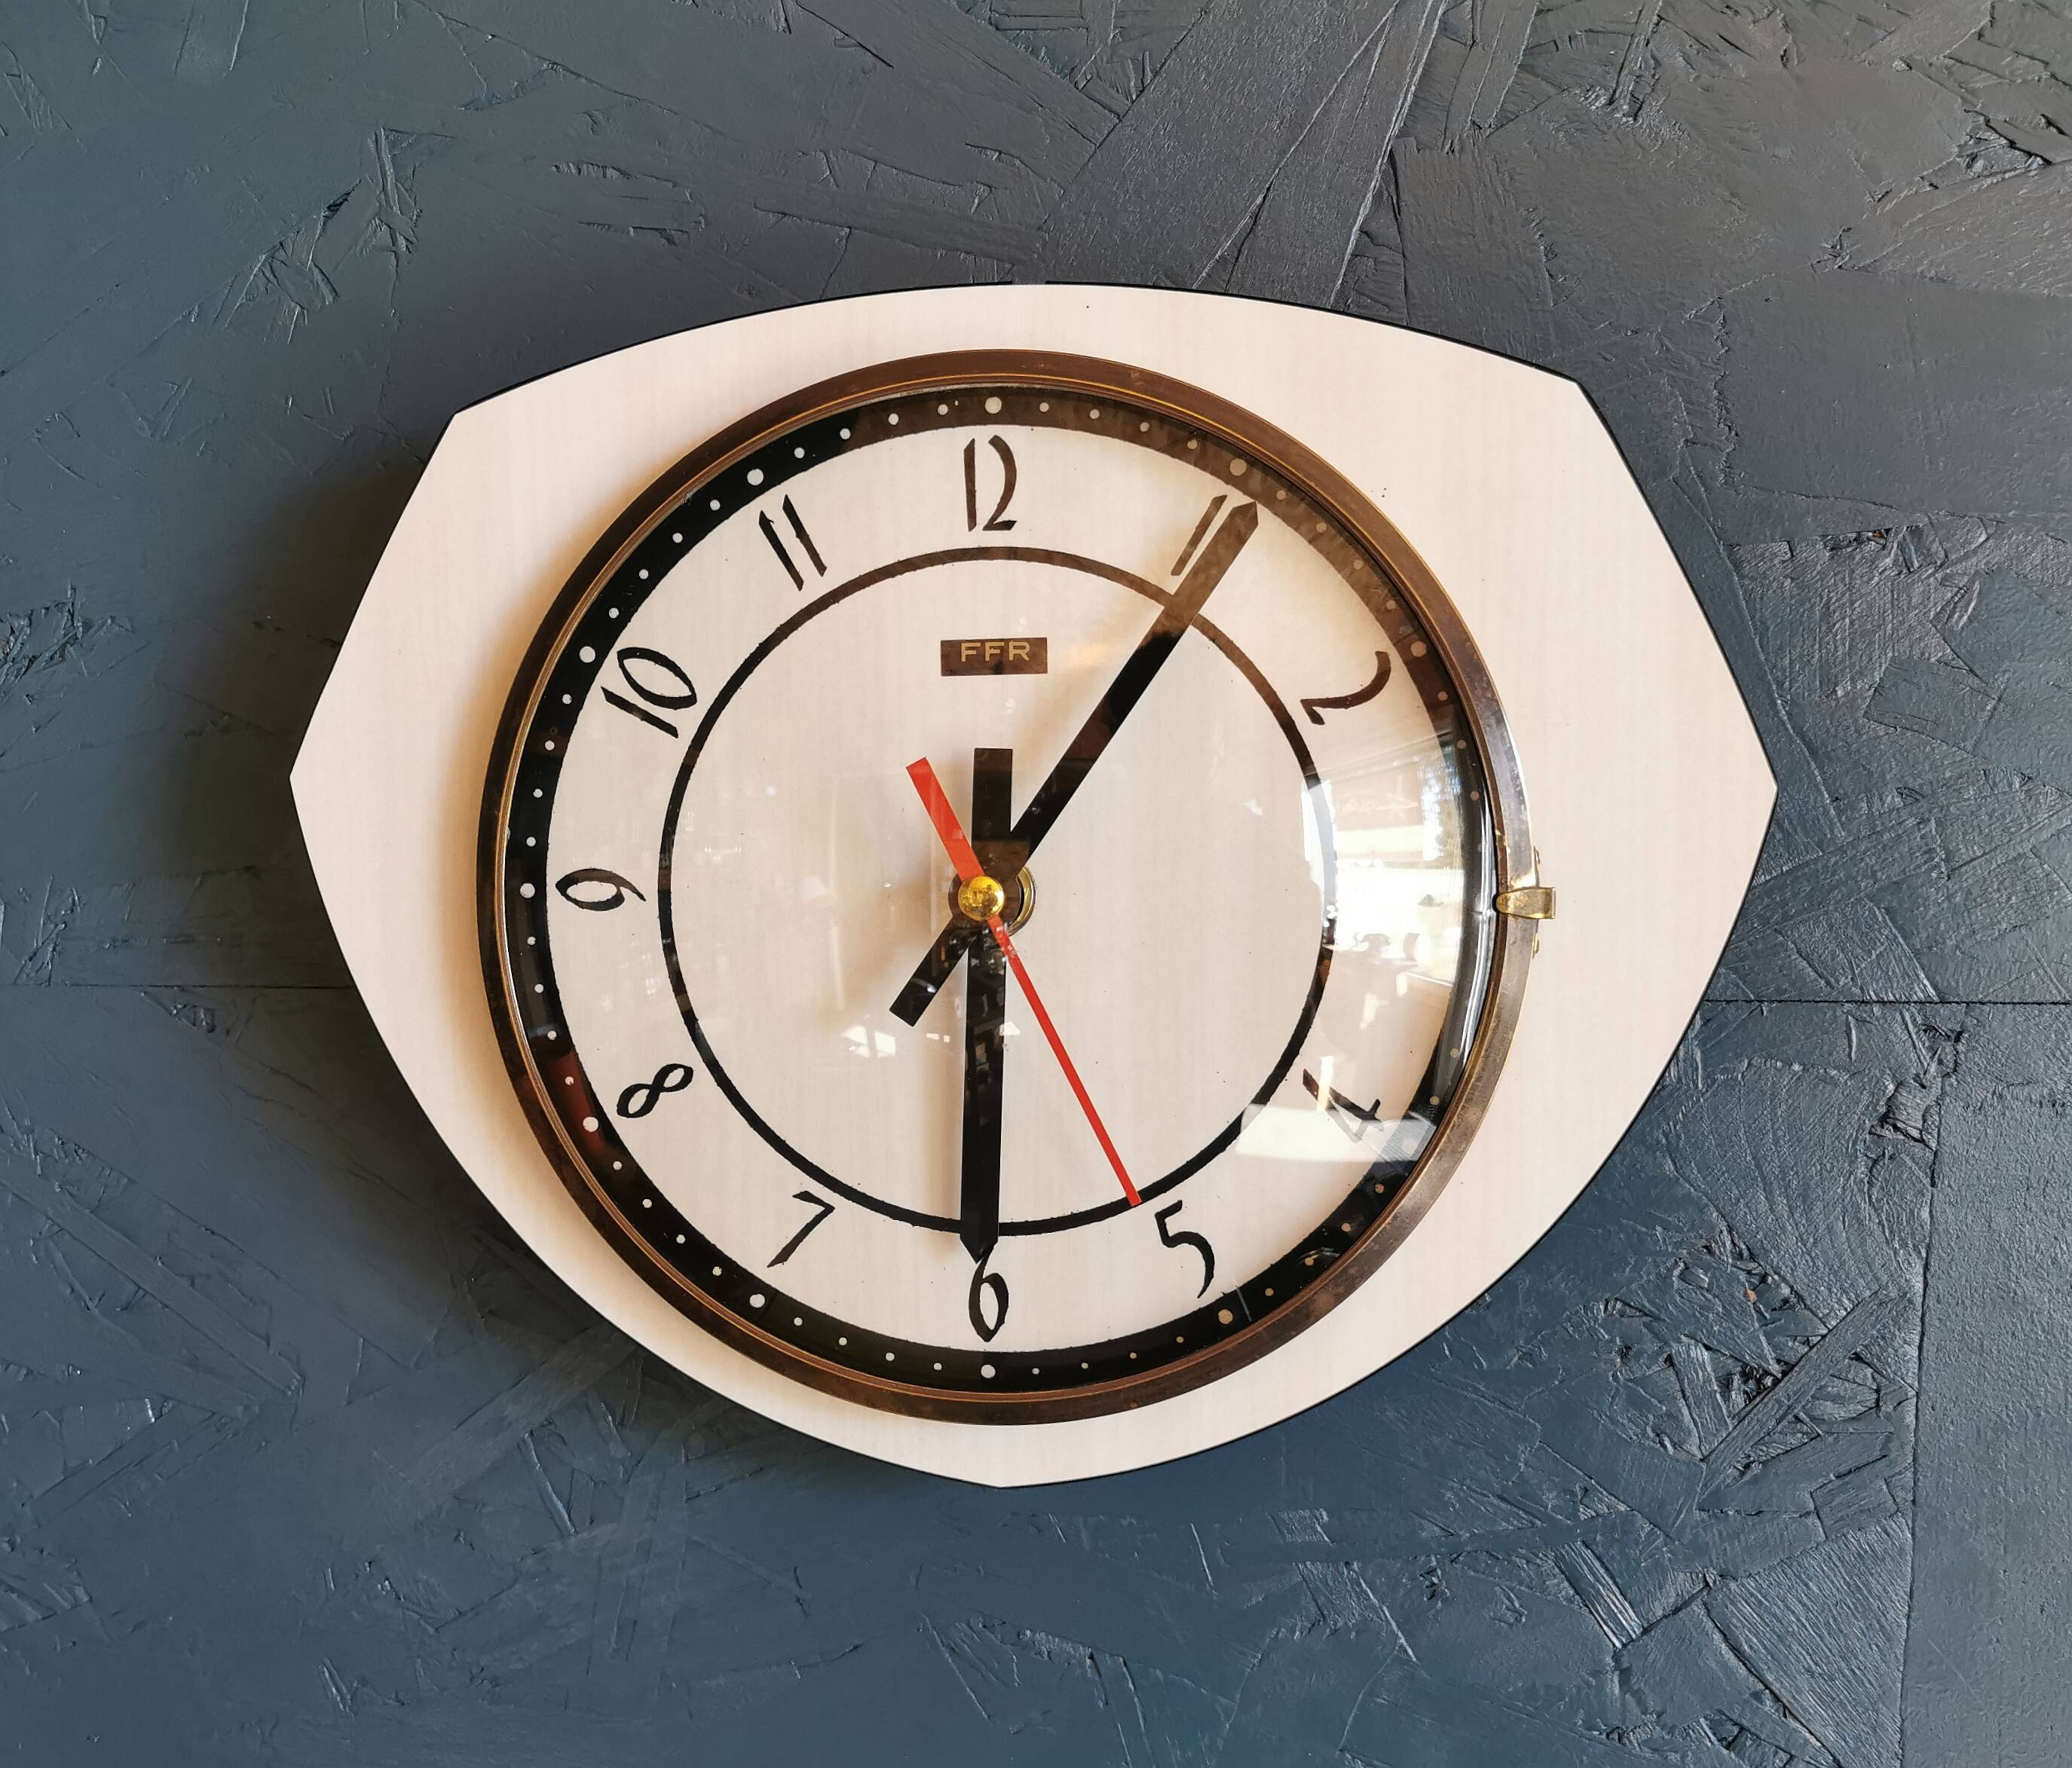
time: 6:05
